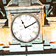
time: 11:10
